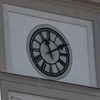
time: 11:10
